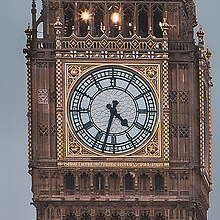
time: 4:32
